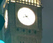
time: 8:23
